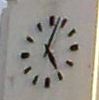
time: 5:03
